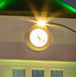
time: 5:20
